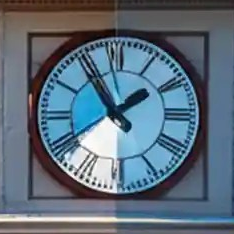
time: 1:54
